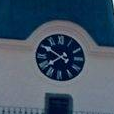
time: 7:50
